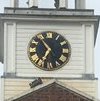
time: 10:34
